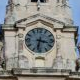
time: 3:32
